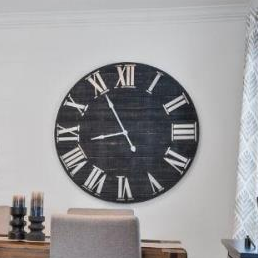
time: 8:55
